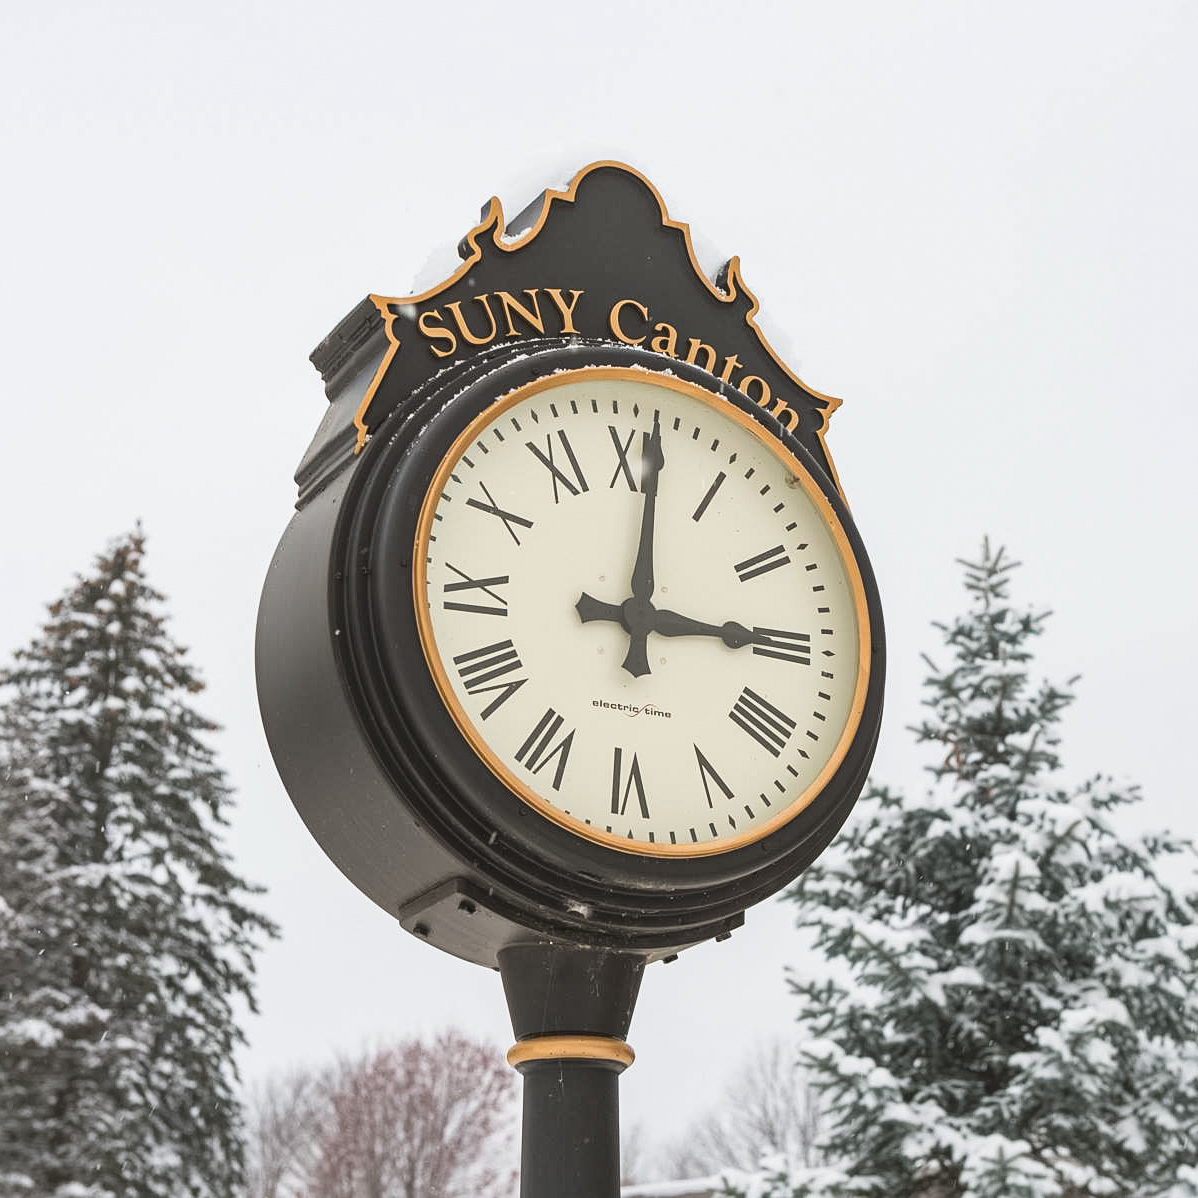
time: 3:01
